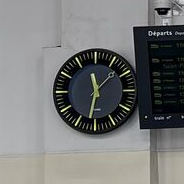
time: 11:32
